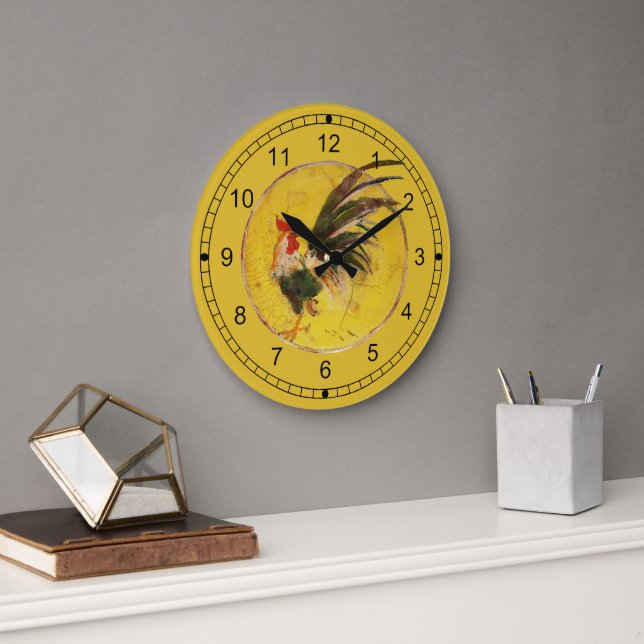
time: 10:09
